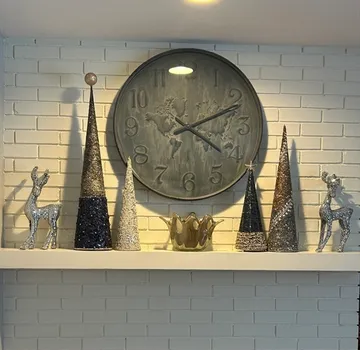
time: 4:10
